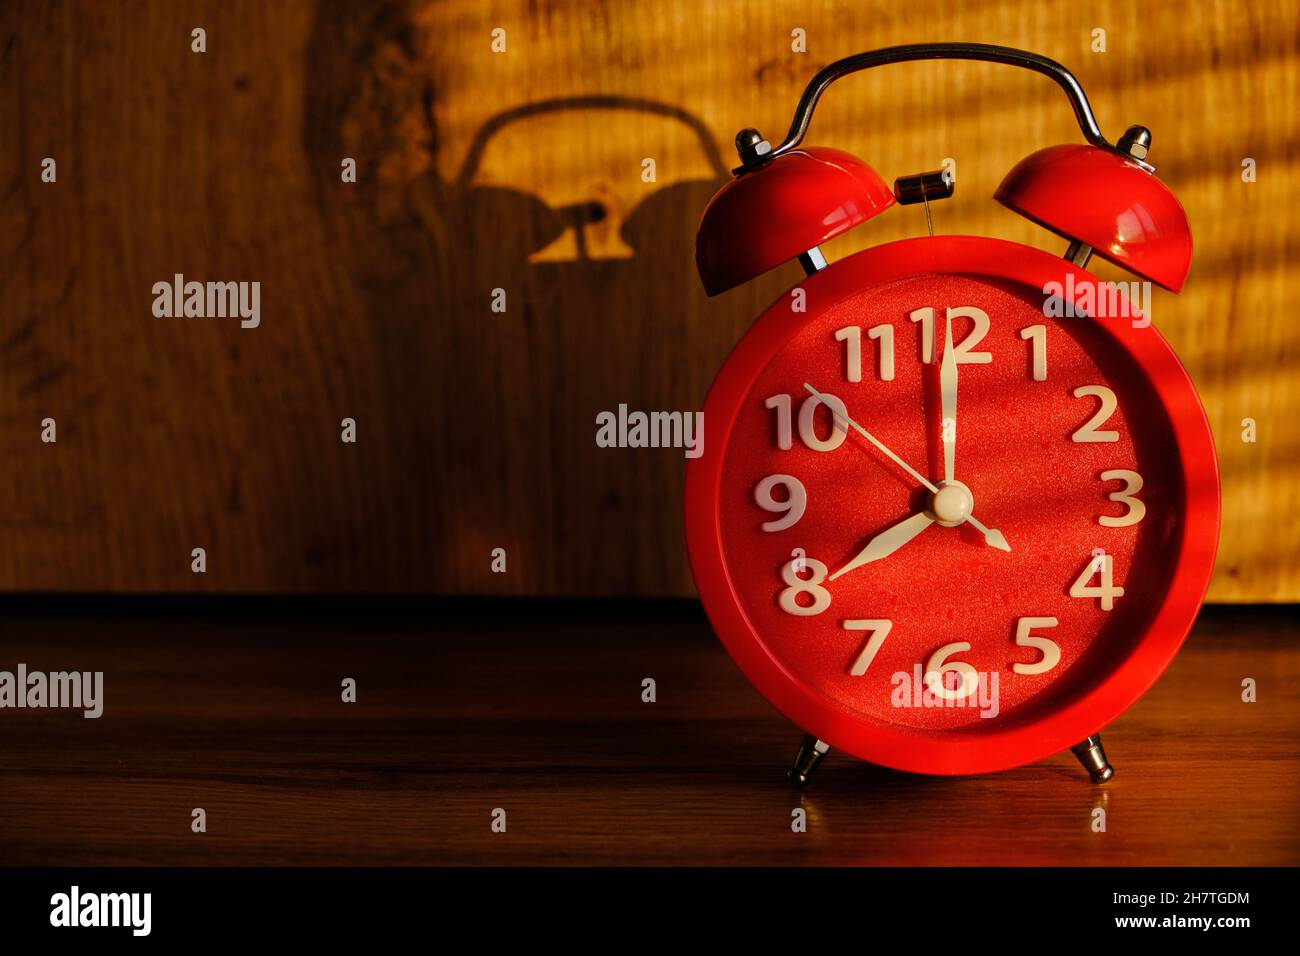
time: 8:00
